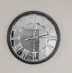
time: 2:29
